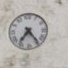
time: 7:24
